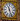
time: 11:26
